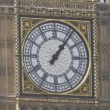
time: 1:06
